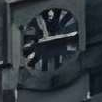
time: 11:14
